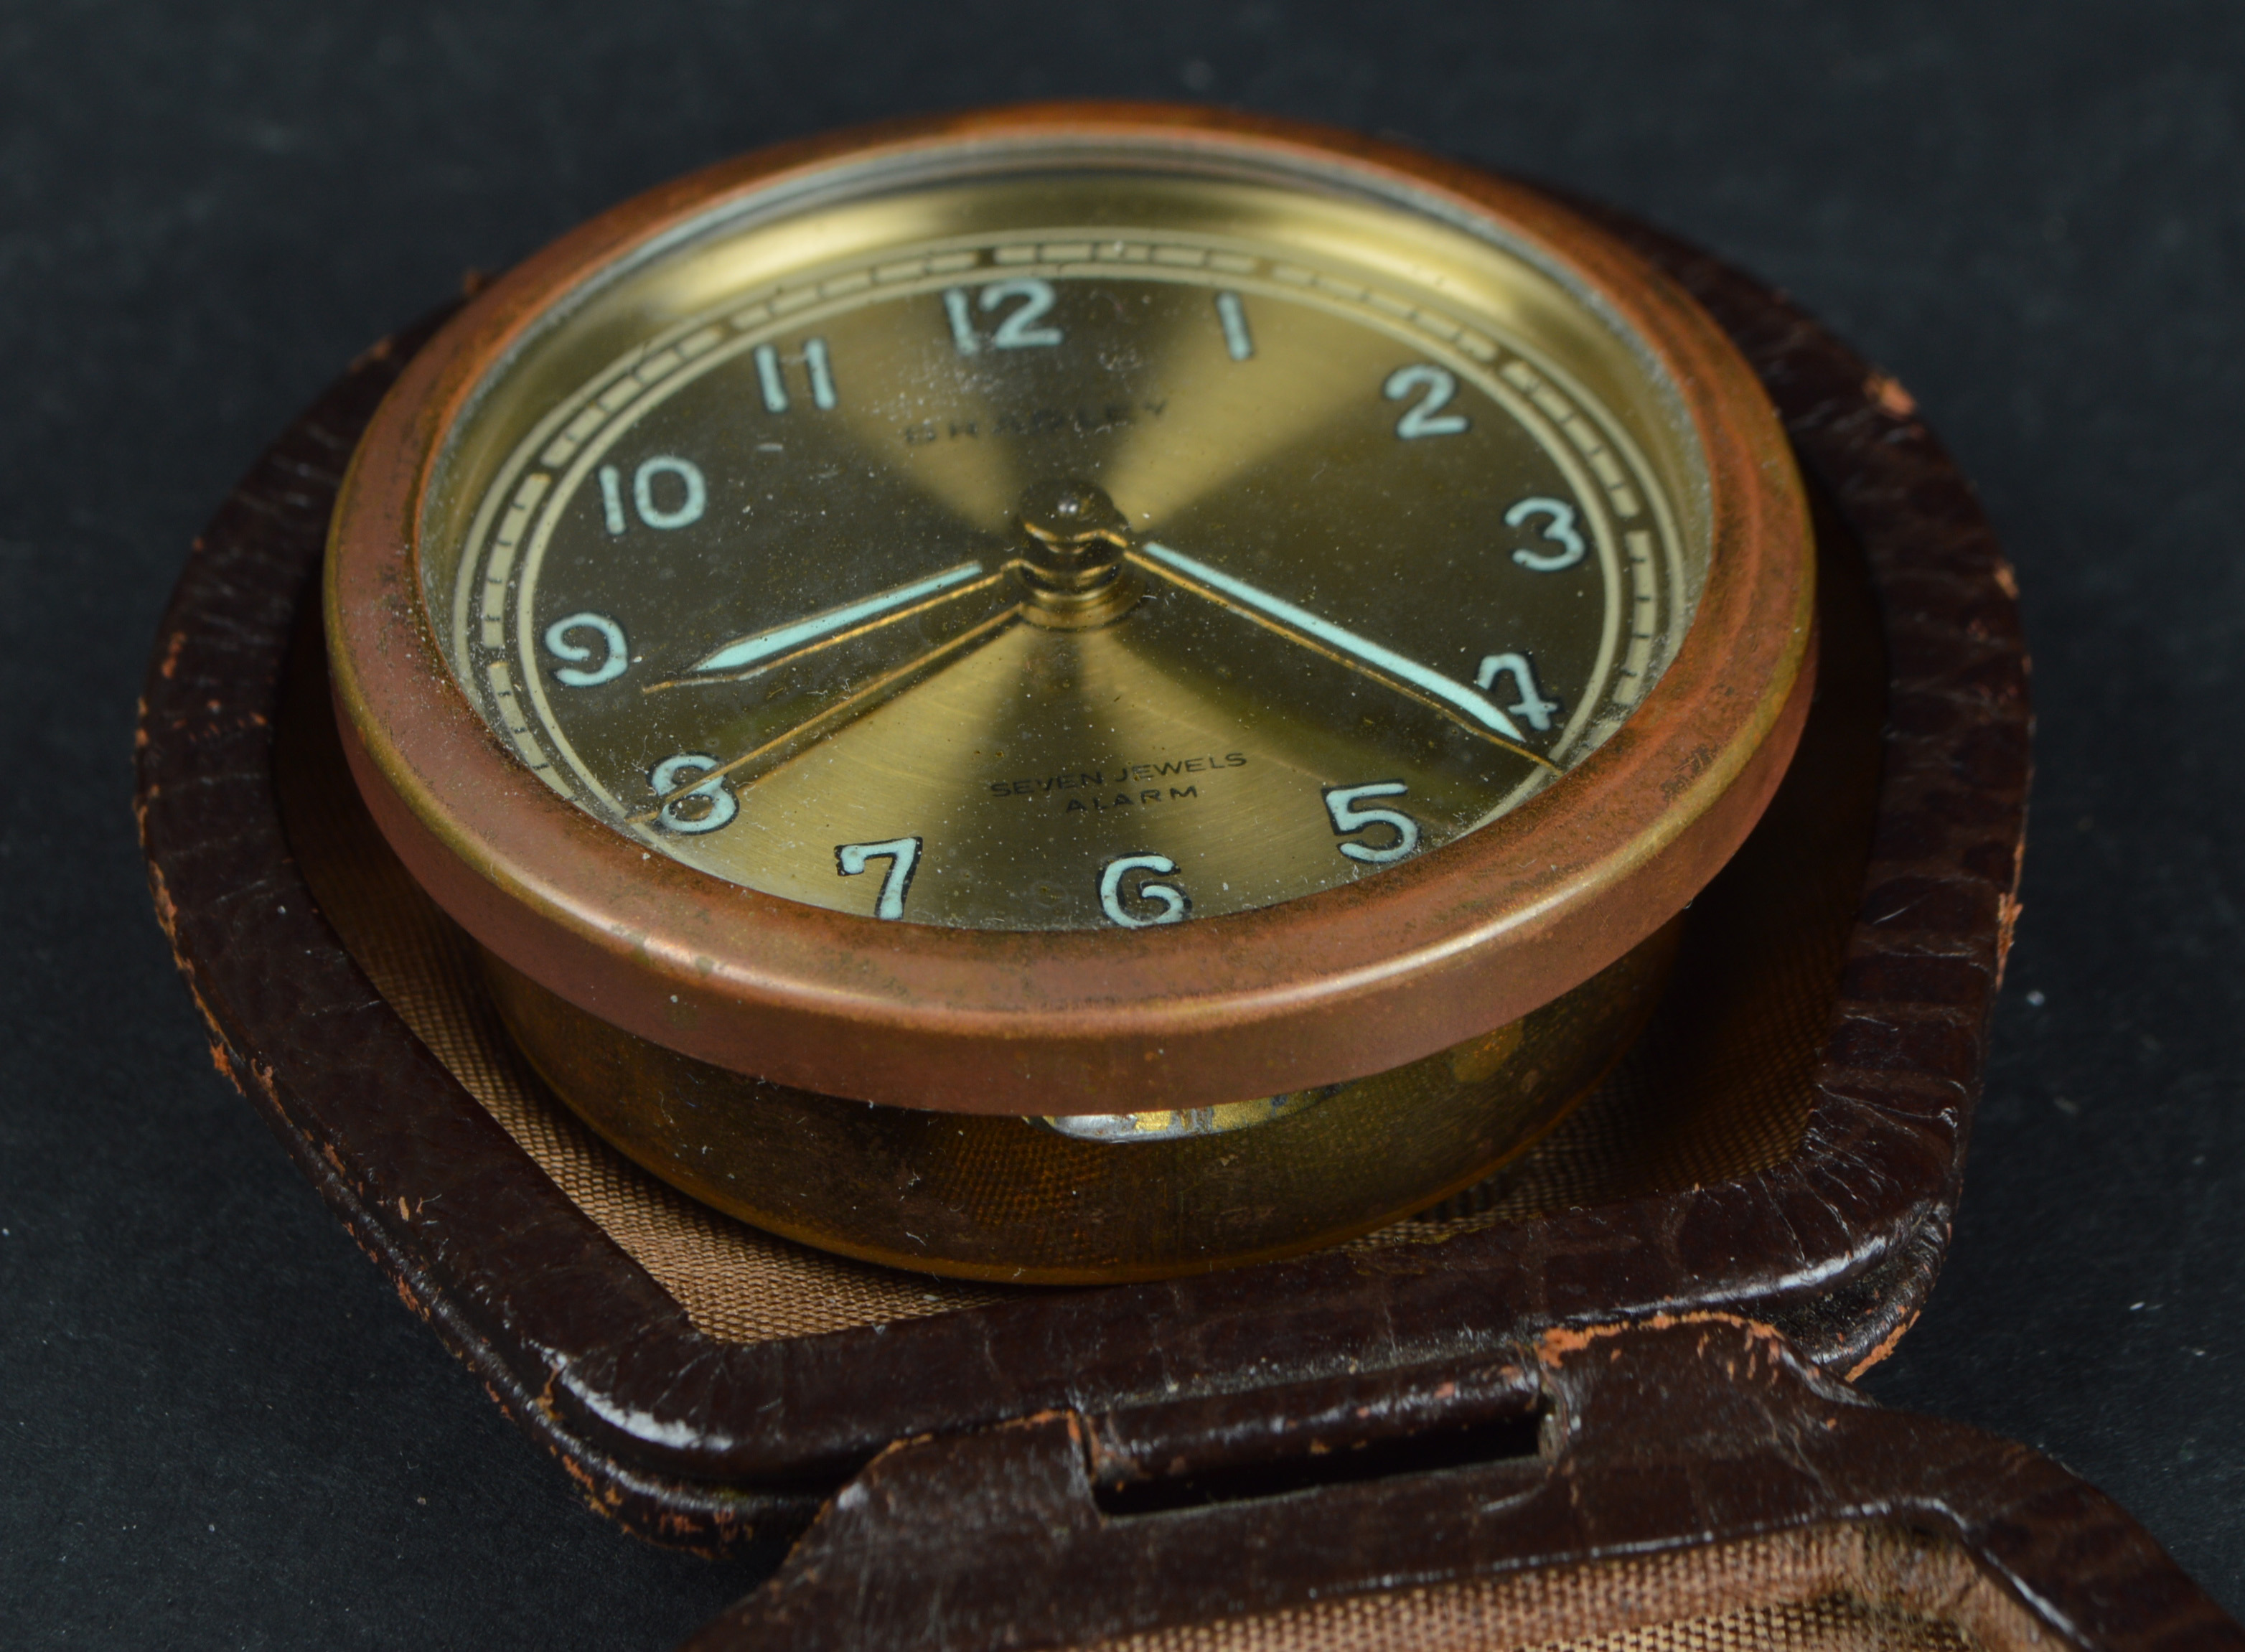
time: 8:21
